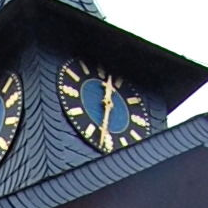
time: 12:32
